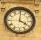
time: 4:00
